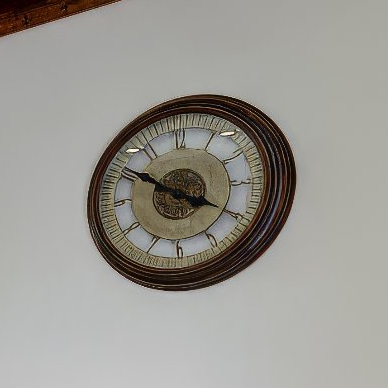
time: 3:50
